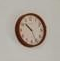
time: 10:25
